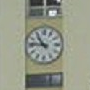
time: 10:46
